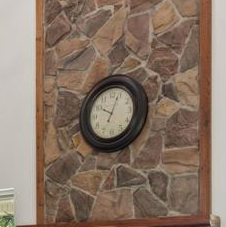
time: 10:03
